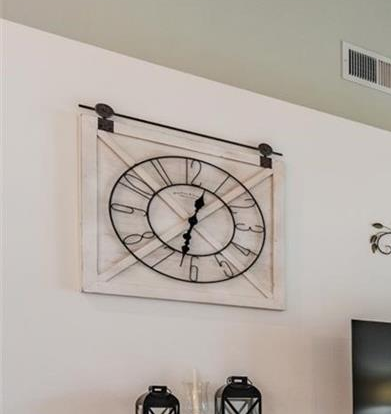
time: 12:32
